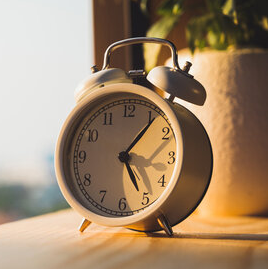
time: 5:06
